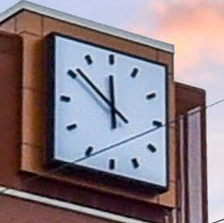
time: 11:51
